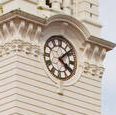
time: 4:07
